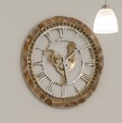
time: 1:28
